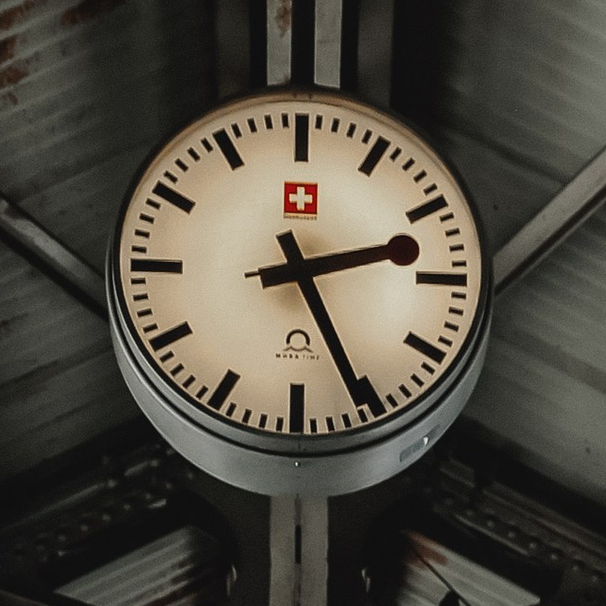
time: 2:25
